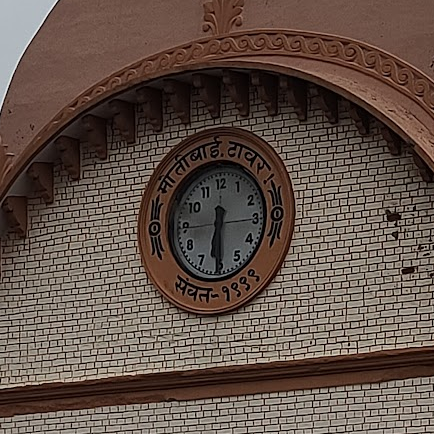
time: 6:29
